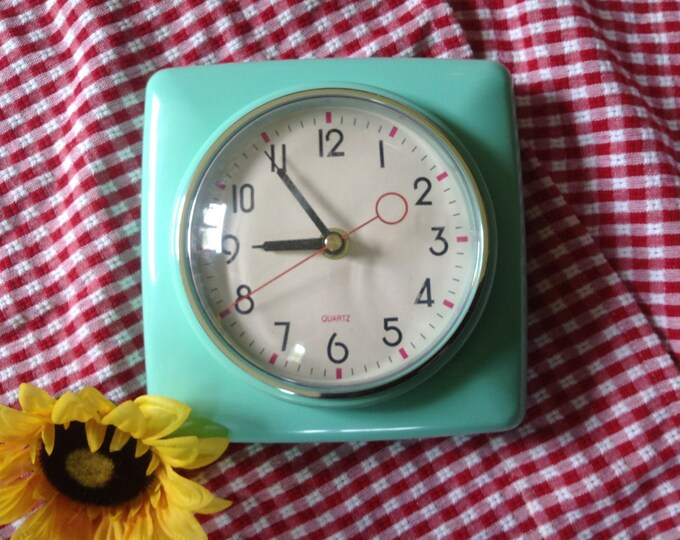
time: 8:54
